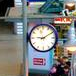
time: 9:09
